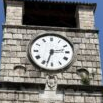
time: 2:32
